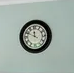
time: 11:49
